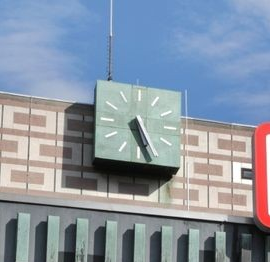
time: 5:26
